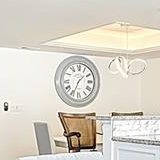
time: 1:34
